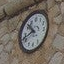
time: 10:41
